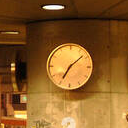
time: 7:08
